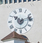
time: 10:12
